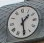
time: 1:29
